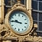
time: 9:45
